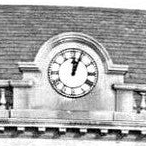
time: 12:03
